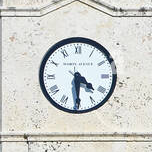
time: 4:30
